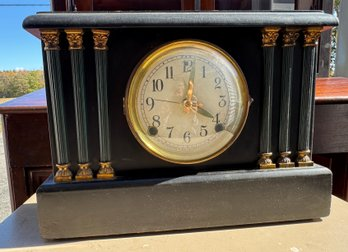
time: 12:20
